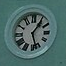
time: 1:27
